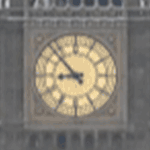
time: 8:52
